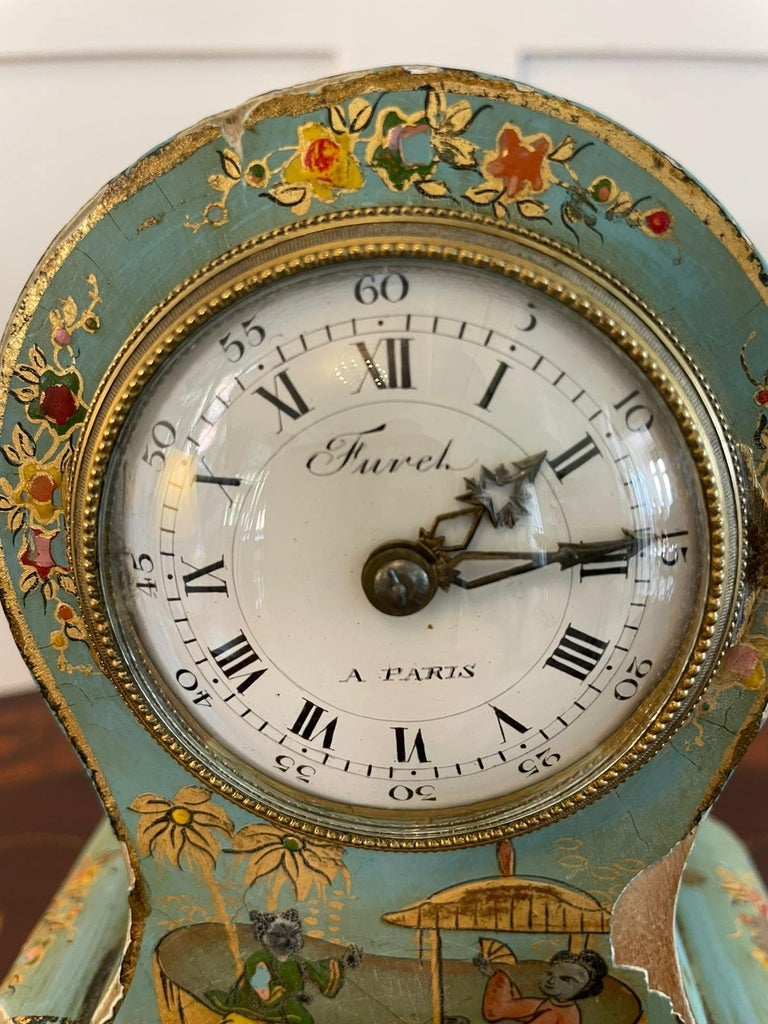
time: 1:14
